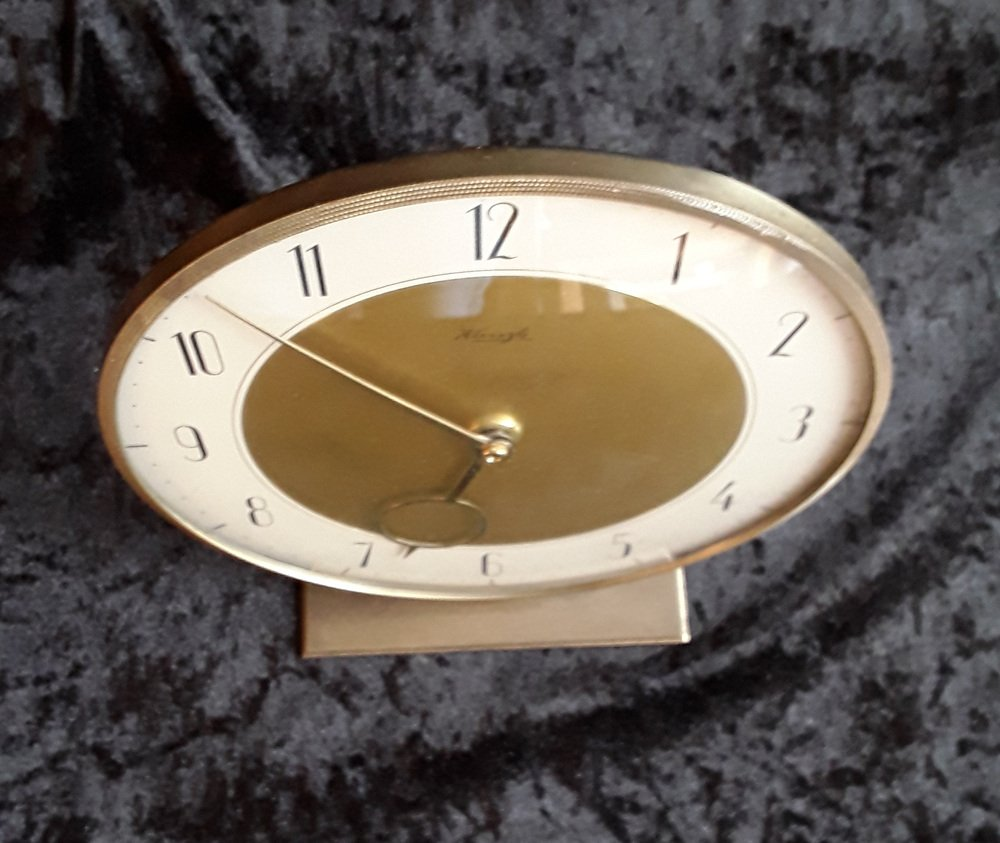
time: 6:51
